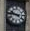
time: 9:45
